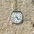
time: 4:42
